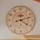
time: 4:12
